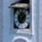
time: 1:36
